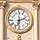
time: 2:32
